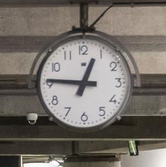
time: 12:45
